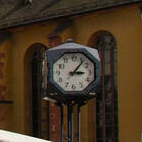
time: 3:06
